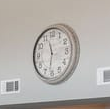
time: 11:32
